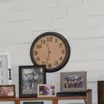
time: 11:32
